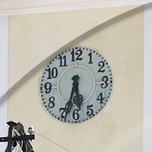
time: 5:33
